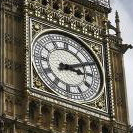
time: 3:10
